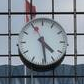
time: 4:29
